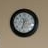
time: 11:33
